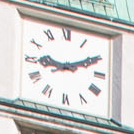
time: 9:10
